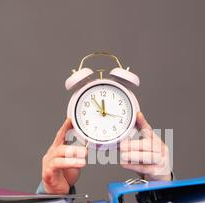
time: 11:54
